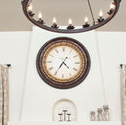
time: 4:35
